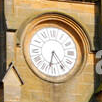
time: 6:24
